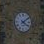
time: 4:08
